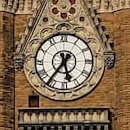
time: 5:36
